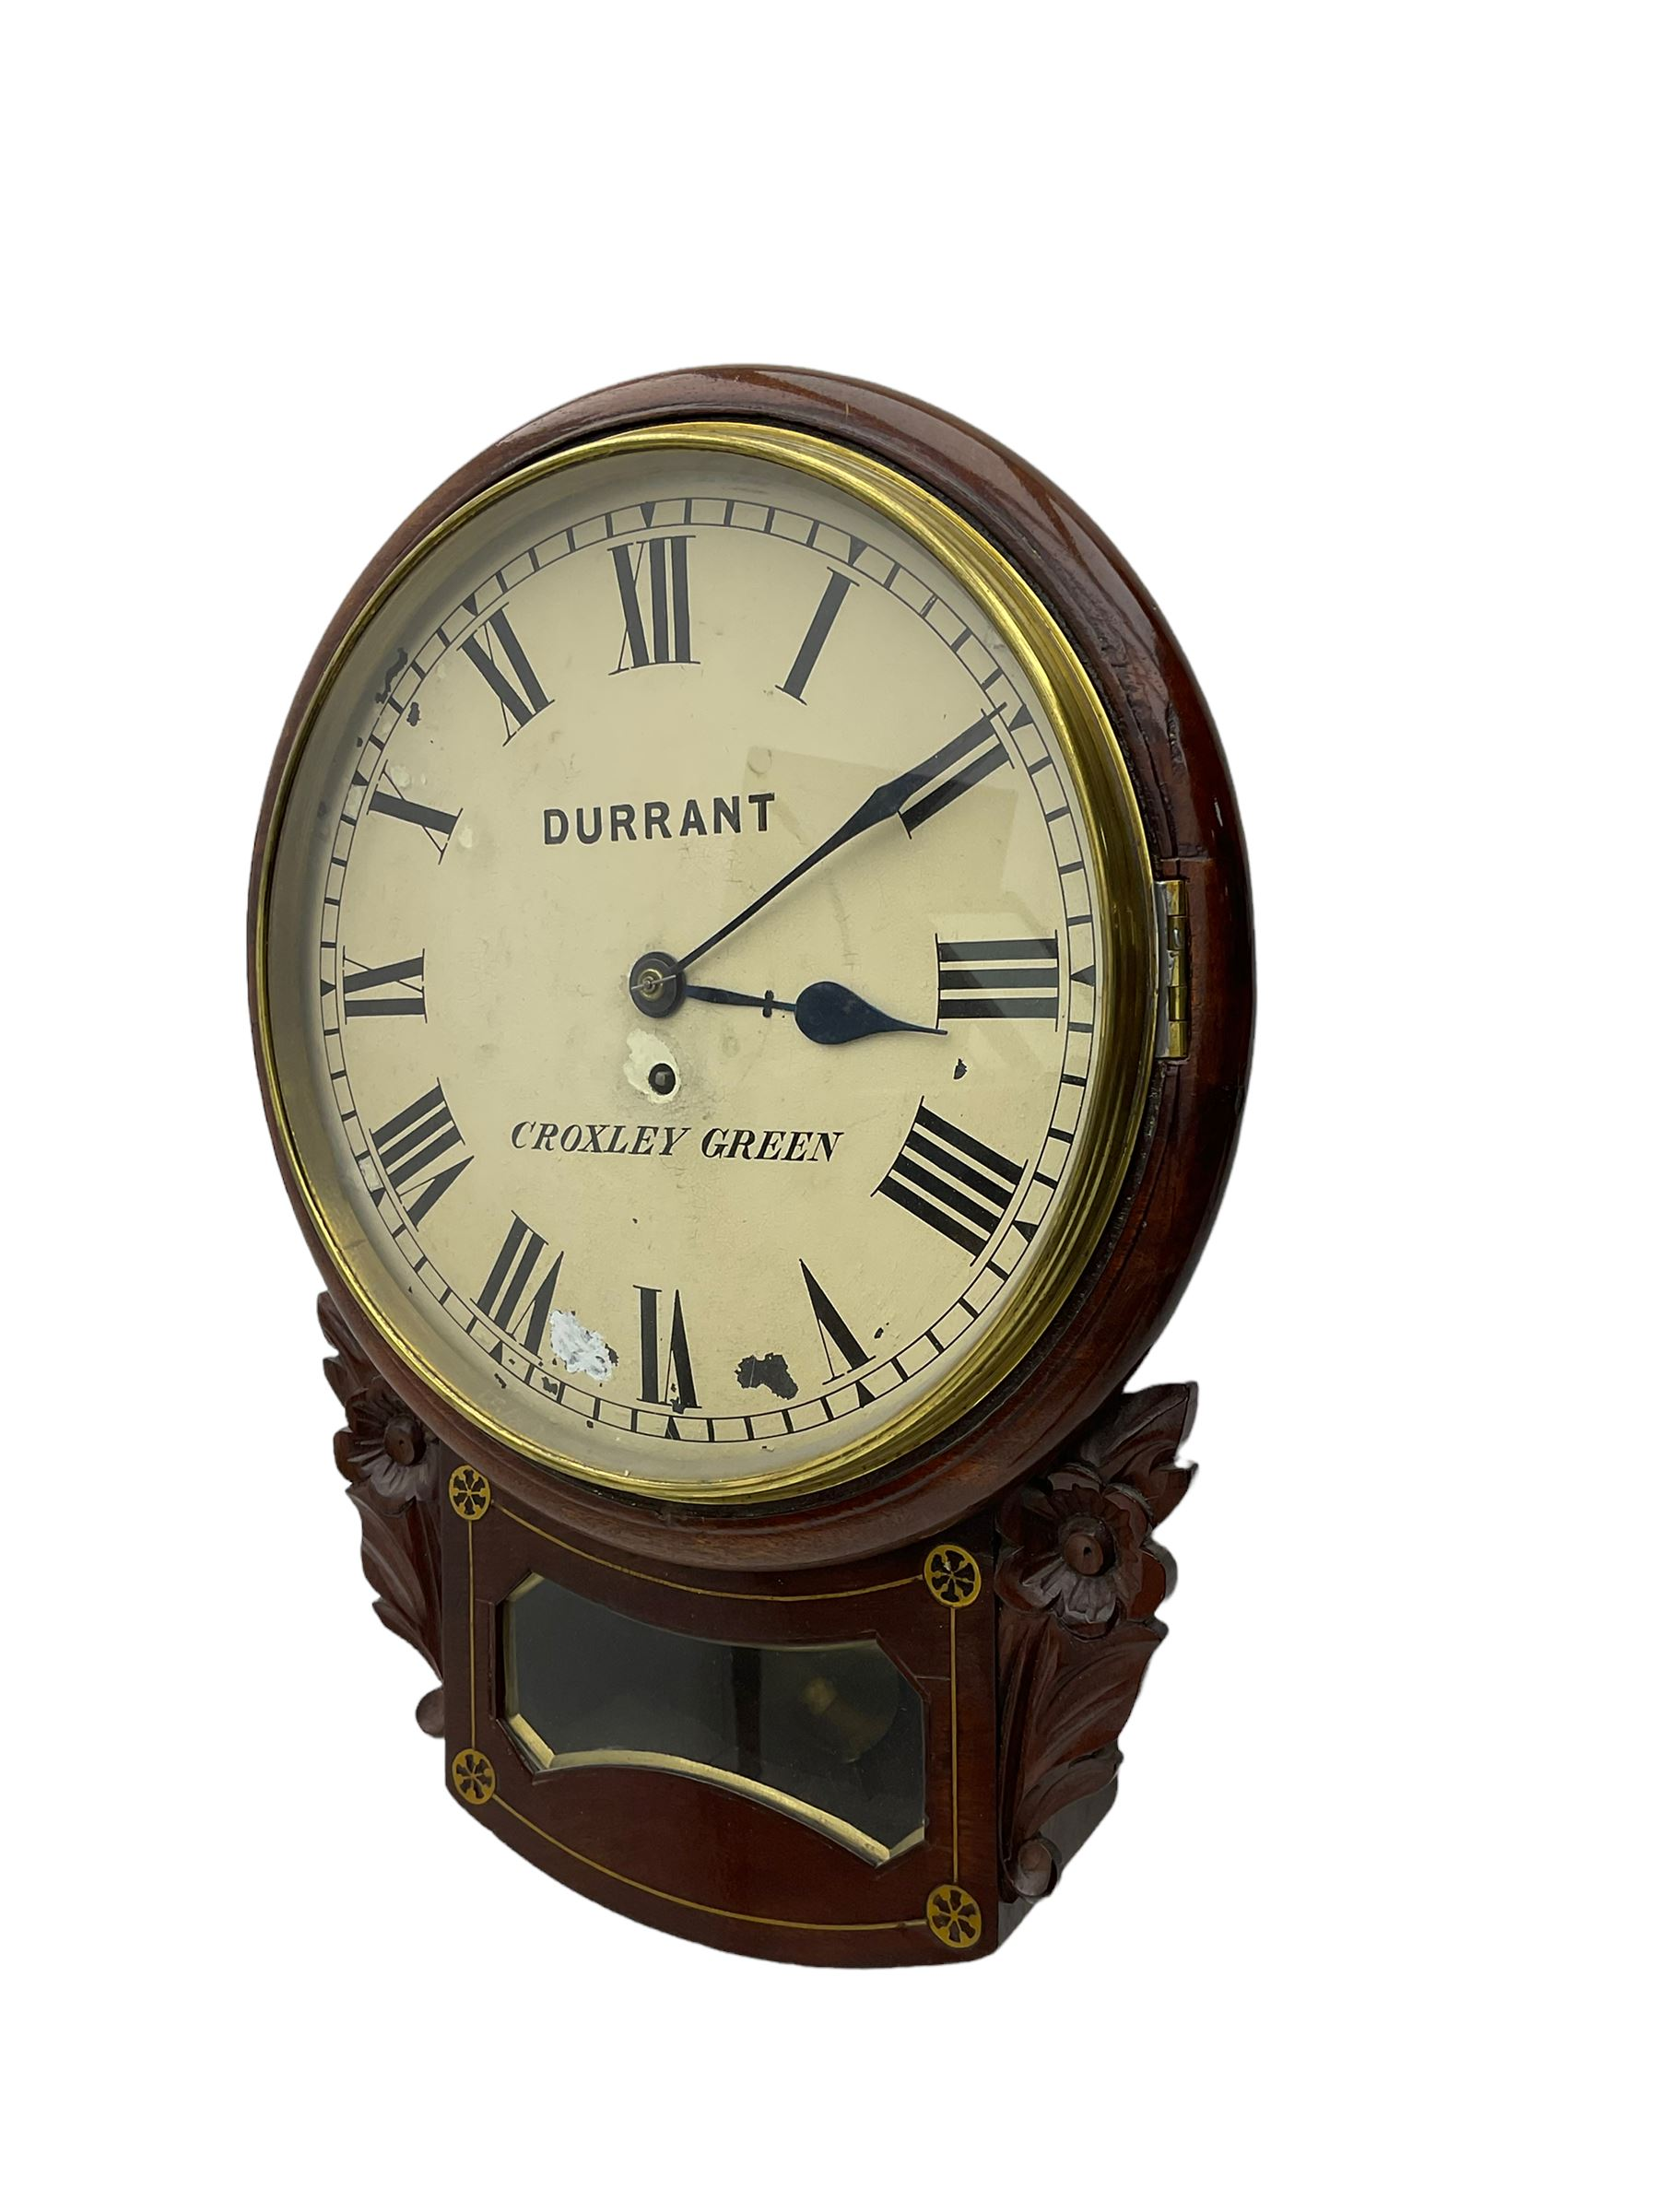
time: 3:09
